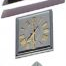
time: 7:30
